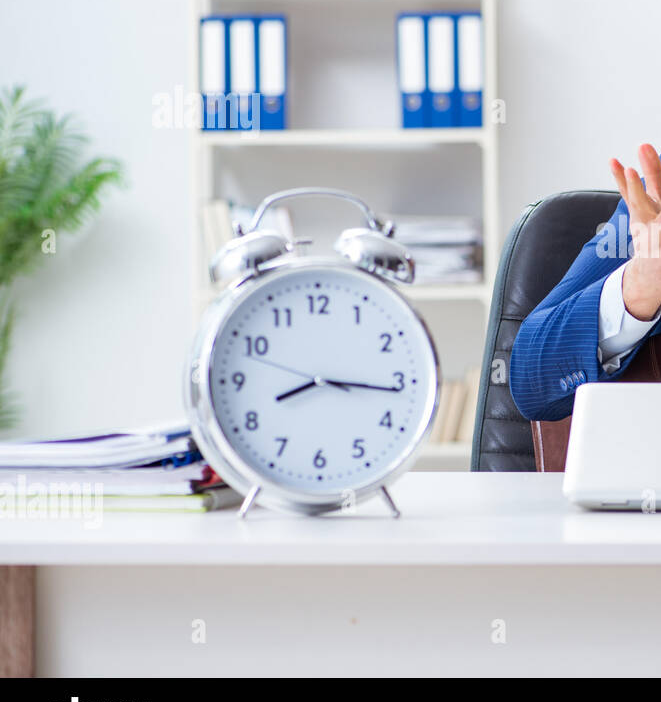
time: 8:16
